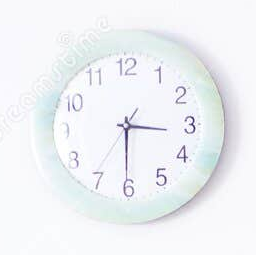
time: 3:30
